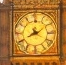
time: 8:09
